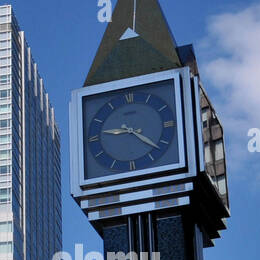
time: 9:22
